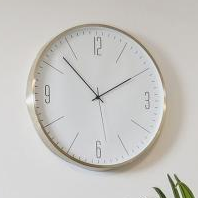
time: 1:52
